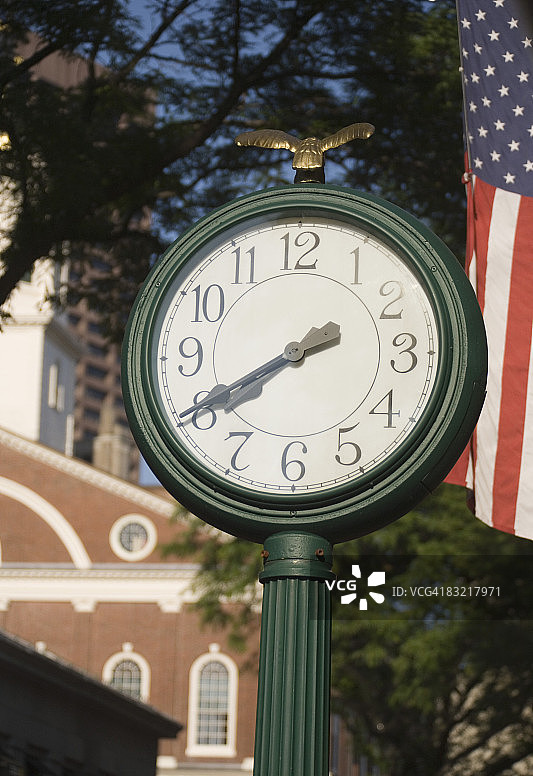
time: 7:40
